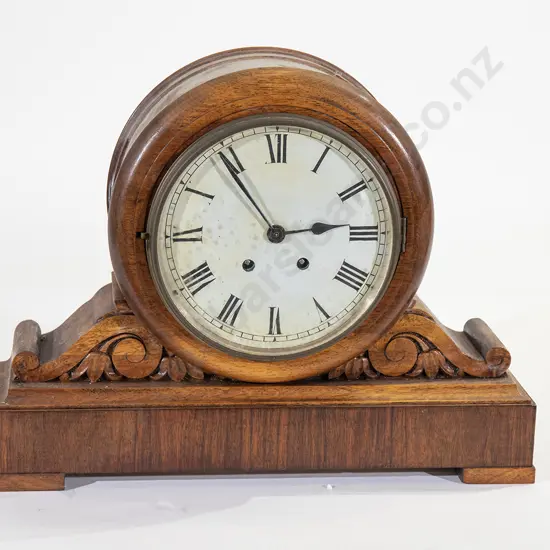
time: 2:54
